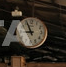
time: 8:56
